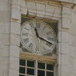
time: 11:18
